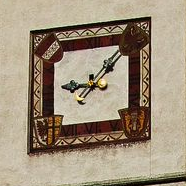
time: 9:07
